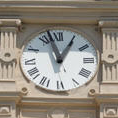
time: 12:57
